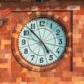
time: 4:52
